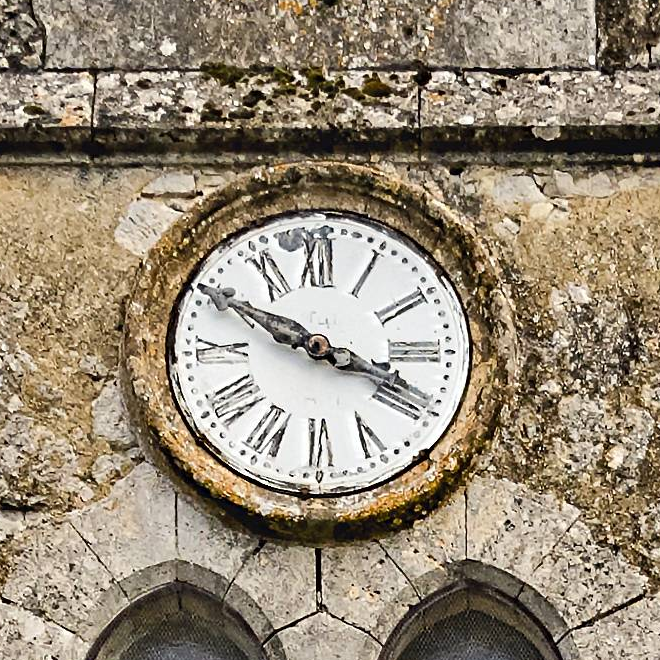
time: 3:49
